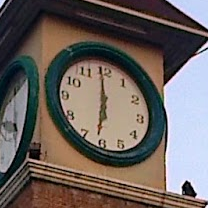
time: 5:59
